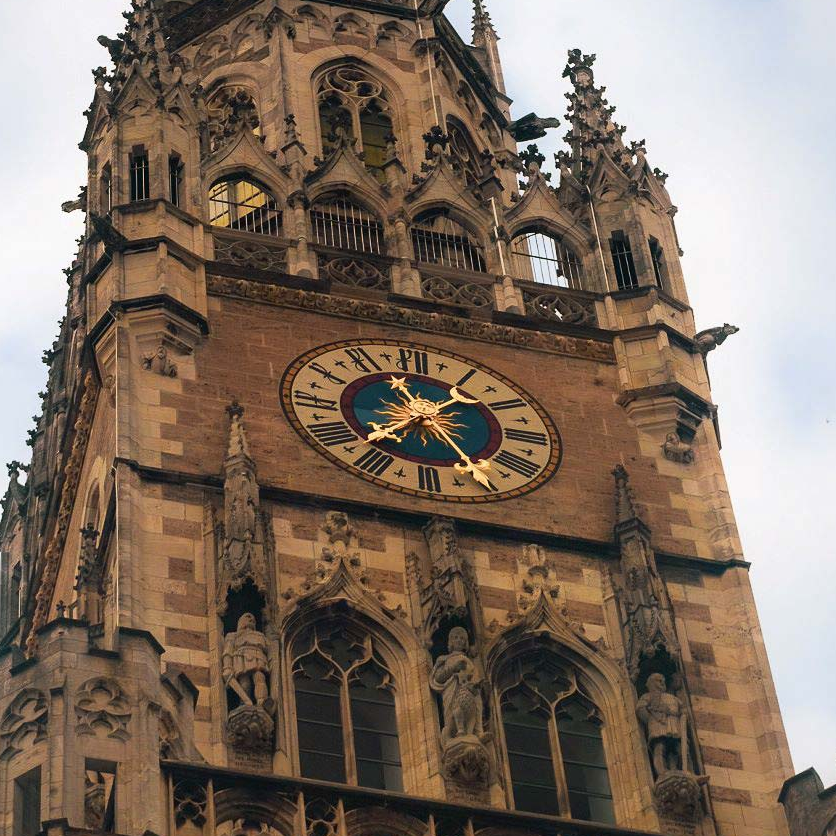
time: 7:25
